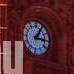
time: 3:05
